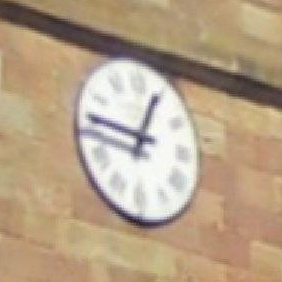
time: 12:46
